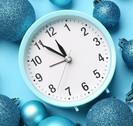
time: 11:50
